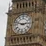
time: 2:48
